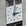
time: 3:02
